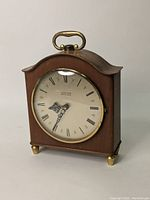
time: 8:35
